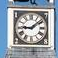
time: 9:08
